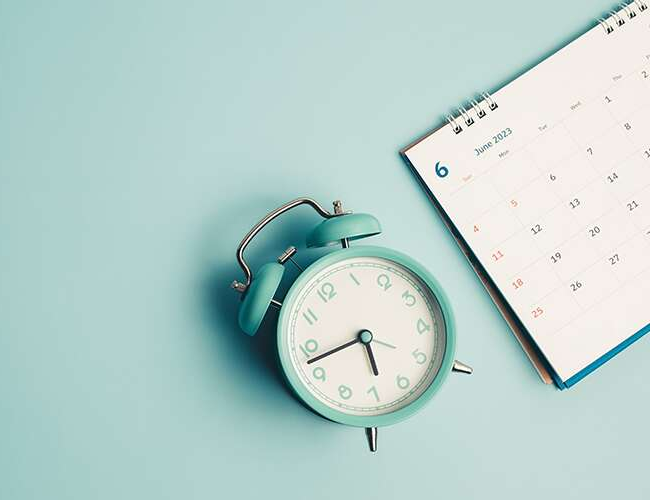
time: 5:42
